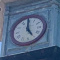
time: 4:59
